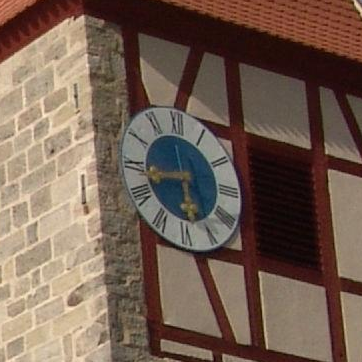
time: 5:42
